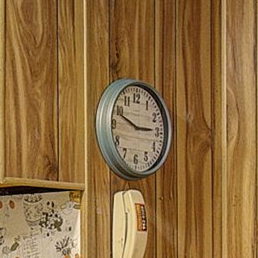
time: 2:48
